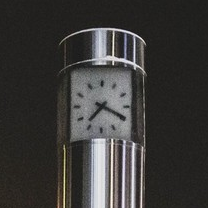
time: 7:18
